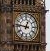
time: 12:46
